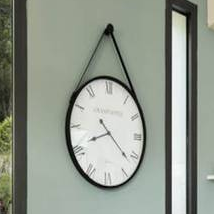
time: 8:21
